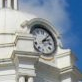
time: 2:06
